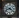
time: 8:21
